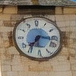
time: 7:16
